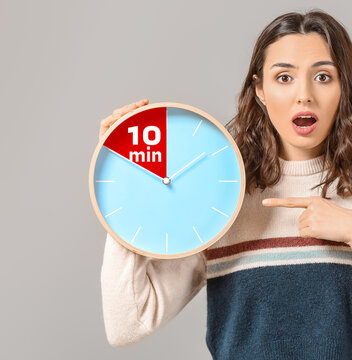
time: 1:50
